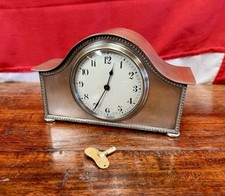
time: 12:34
